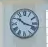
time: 10:17
